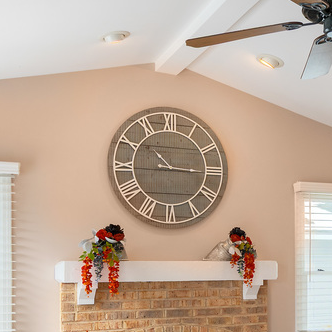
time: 10:15
